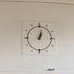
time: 1:02
